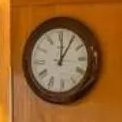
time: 12:05
